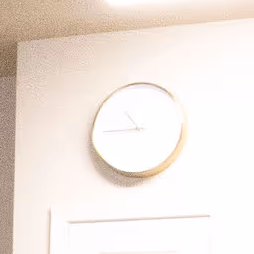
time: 10:45
